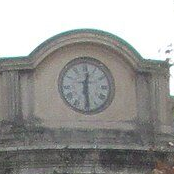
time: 12:28
